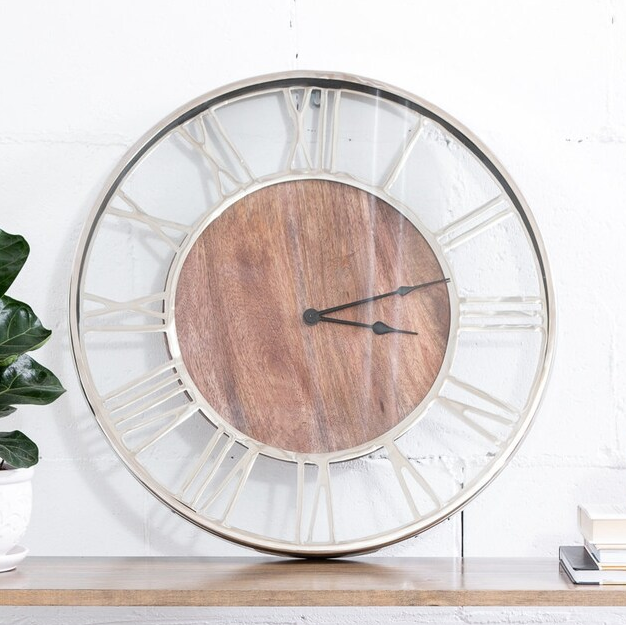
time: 3:12
